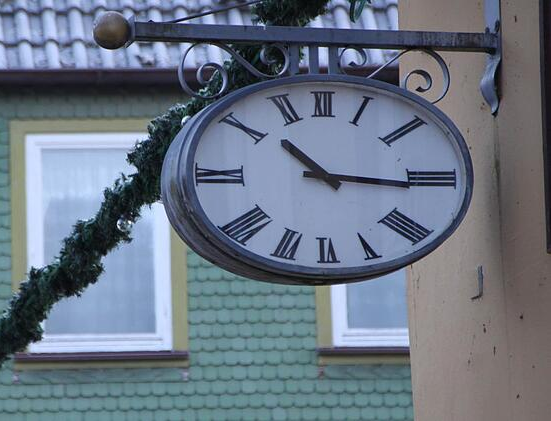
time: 10:15
